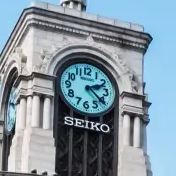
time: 2:21
